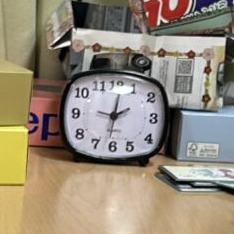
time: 2:01
